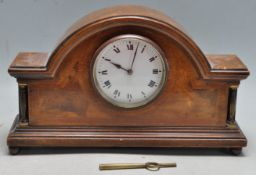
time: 10:02
